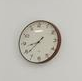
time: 8:38
